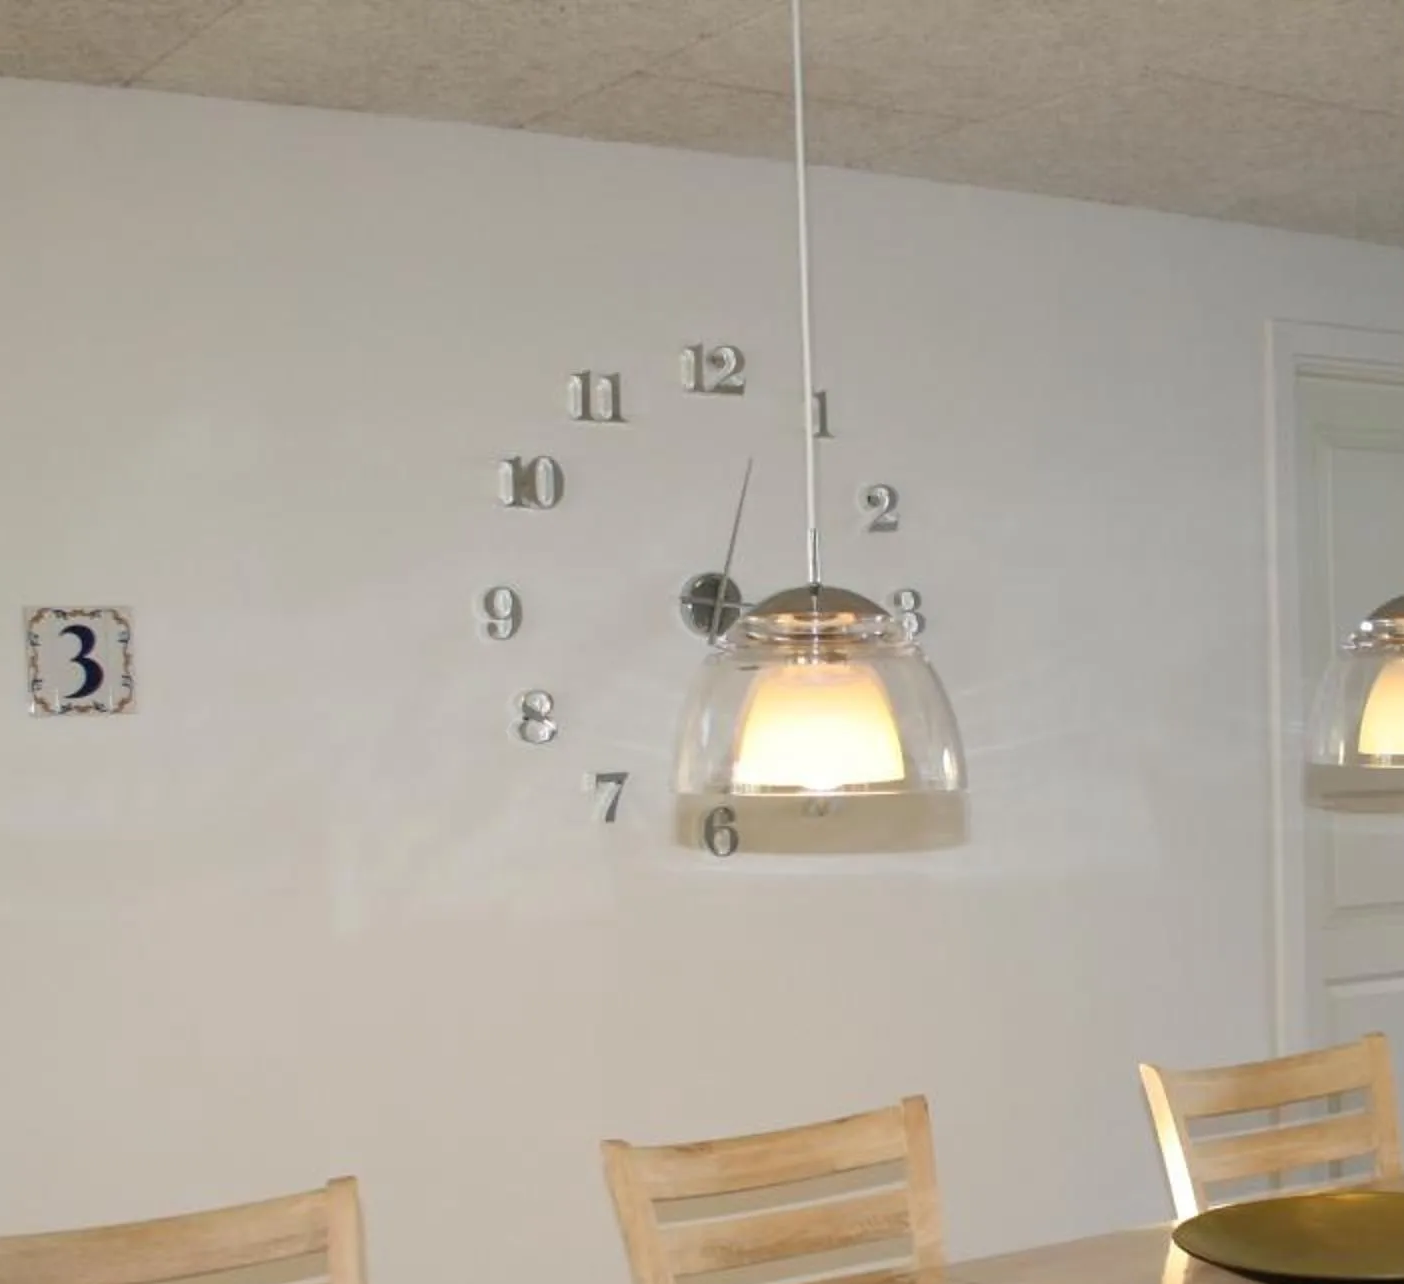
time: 3:14
